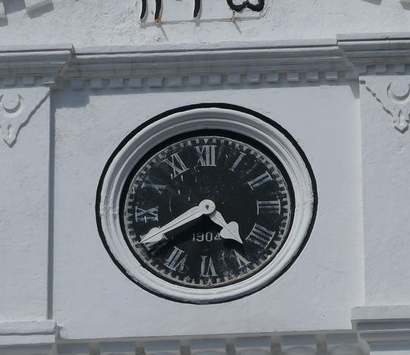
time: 4:40
